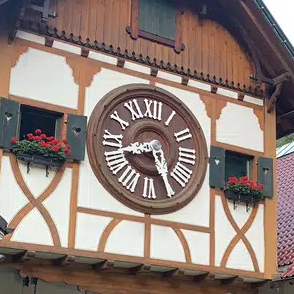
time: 8:25
